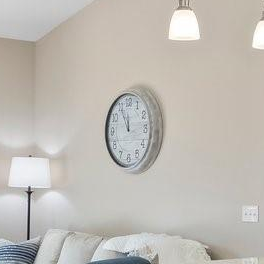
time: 11:55
